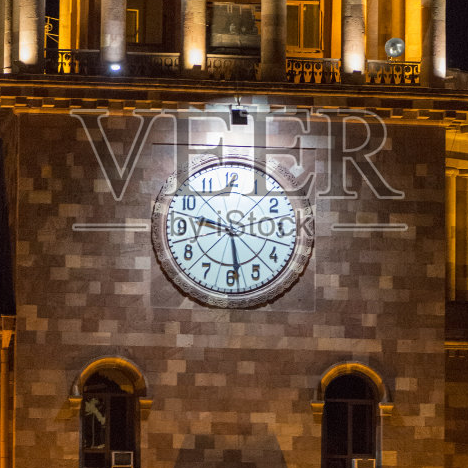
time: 9:28
